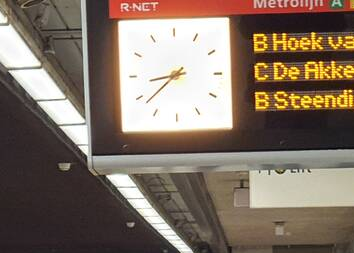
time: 8:38
